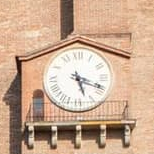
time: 5:18
